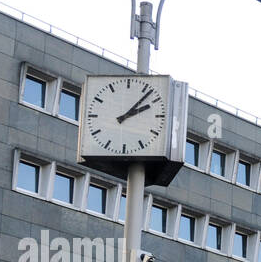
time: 2:07
